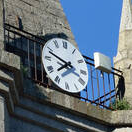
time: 7:48
